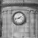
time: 1:42
